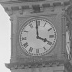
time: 3:58
